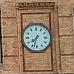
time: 7:32
